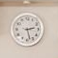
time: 2:27
